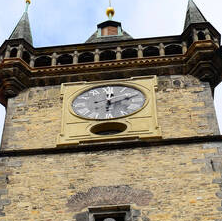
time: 12:10
